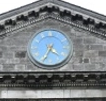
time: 4:34
